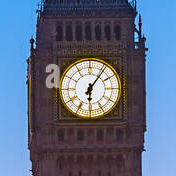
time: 6:06
